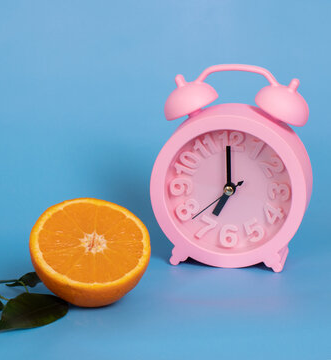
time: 6:59
